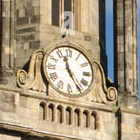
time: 11:24
